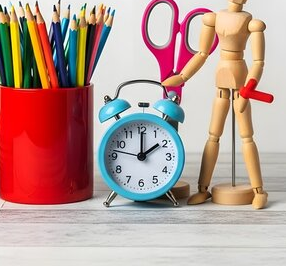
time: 2:00
